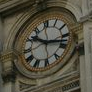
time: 10:17
